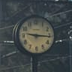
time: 9:15
